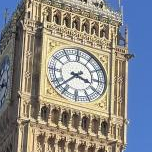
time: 3:38
